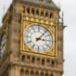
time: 3:06
